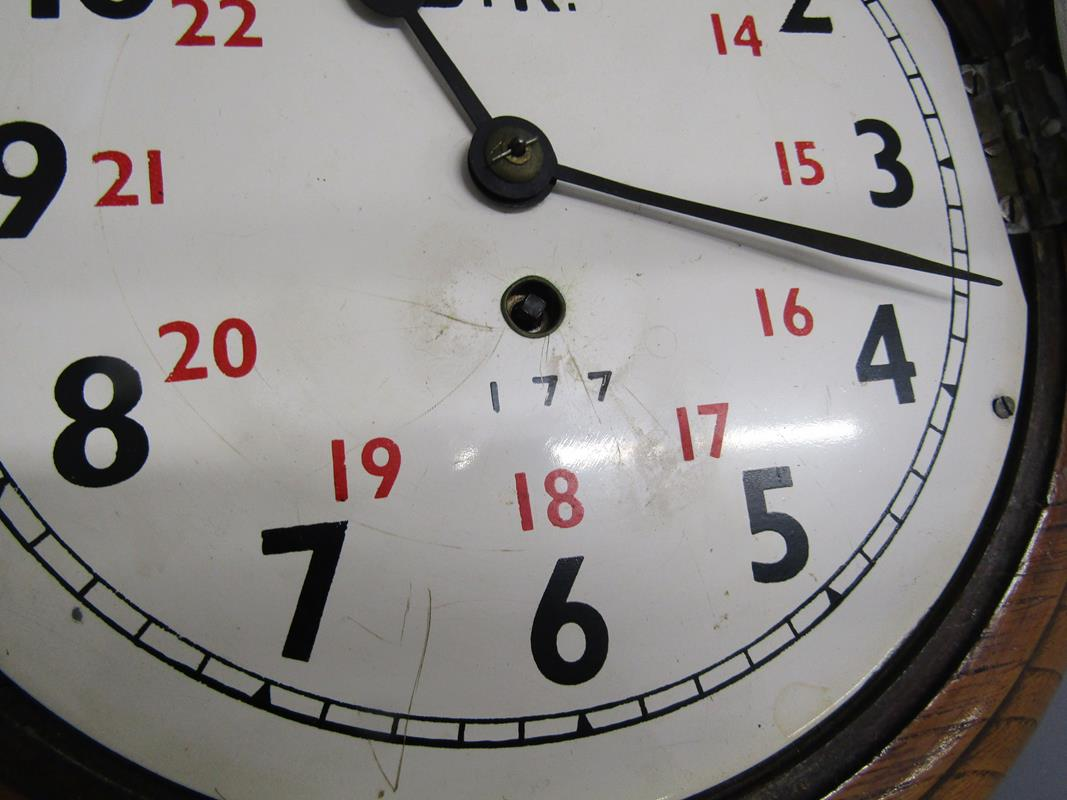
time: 10:17
